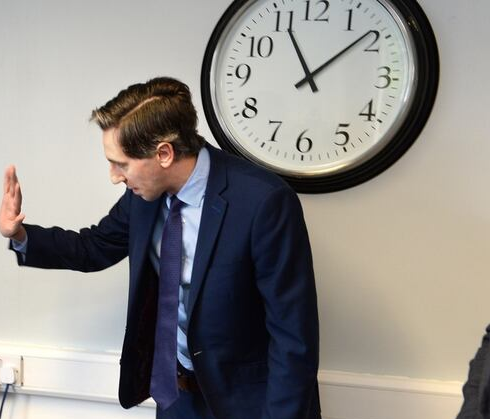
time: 11:08
